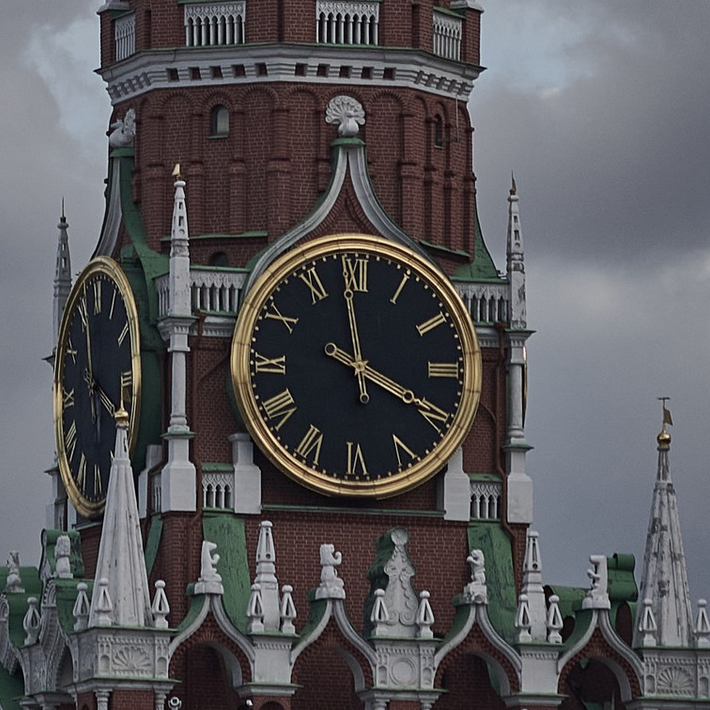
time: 3:58
